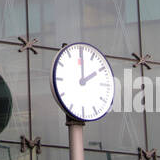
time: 2:00
